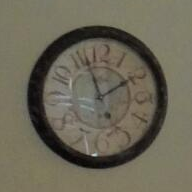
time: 1:56
